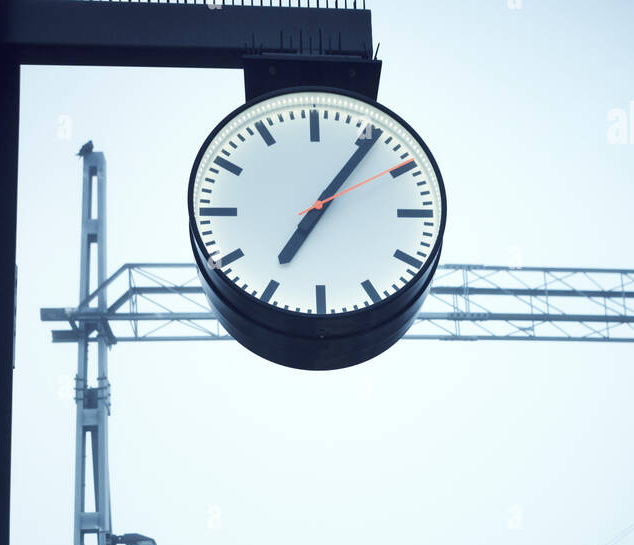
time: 7:06
